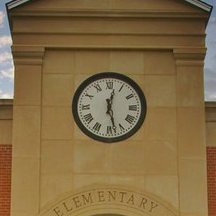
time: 12:27
